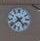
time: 4:38
